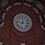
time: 12:46
